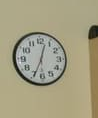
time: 12:34
